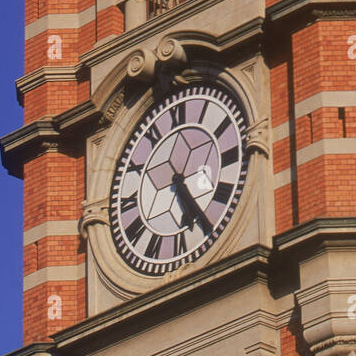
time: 5:24
